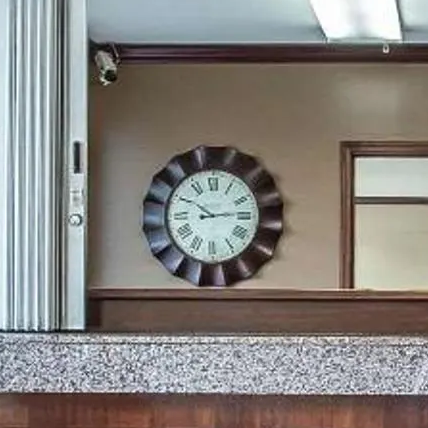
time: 10:13
